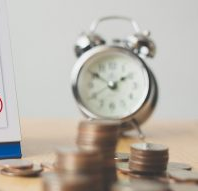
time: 1:50
